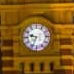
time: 9:33
